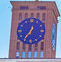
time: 12:36
